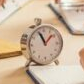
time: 11:07
